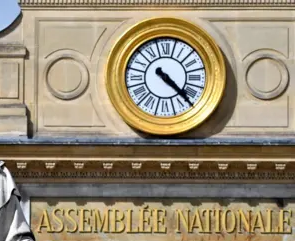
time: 4:22
